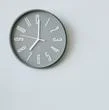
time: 7:00
